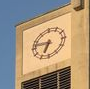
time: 6:47
